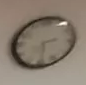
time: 2:29
